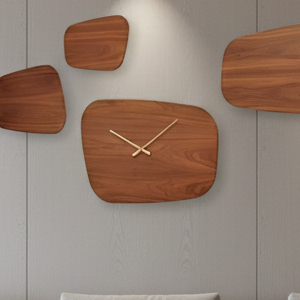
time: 10:07
